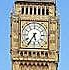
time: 5:35
